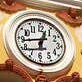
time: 12:43
